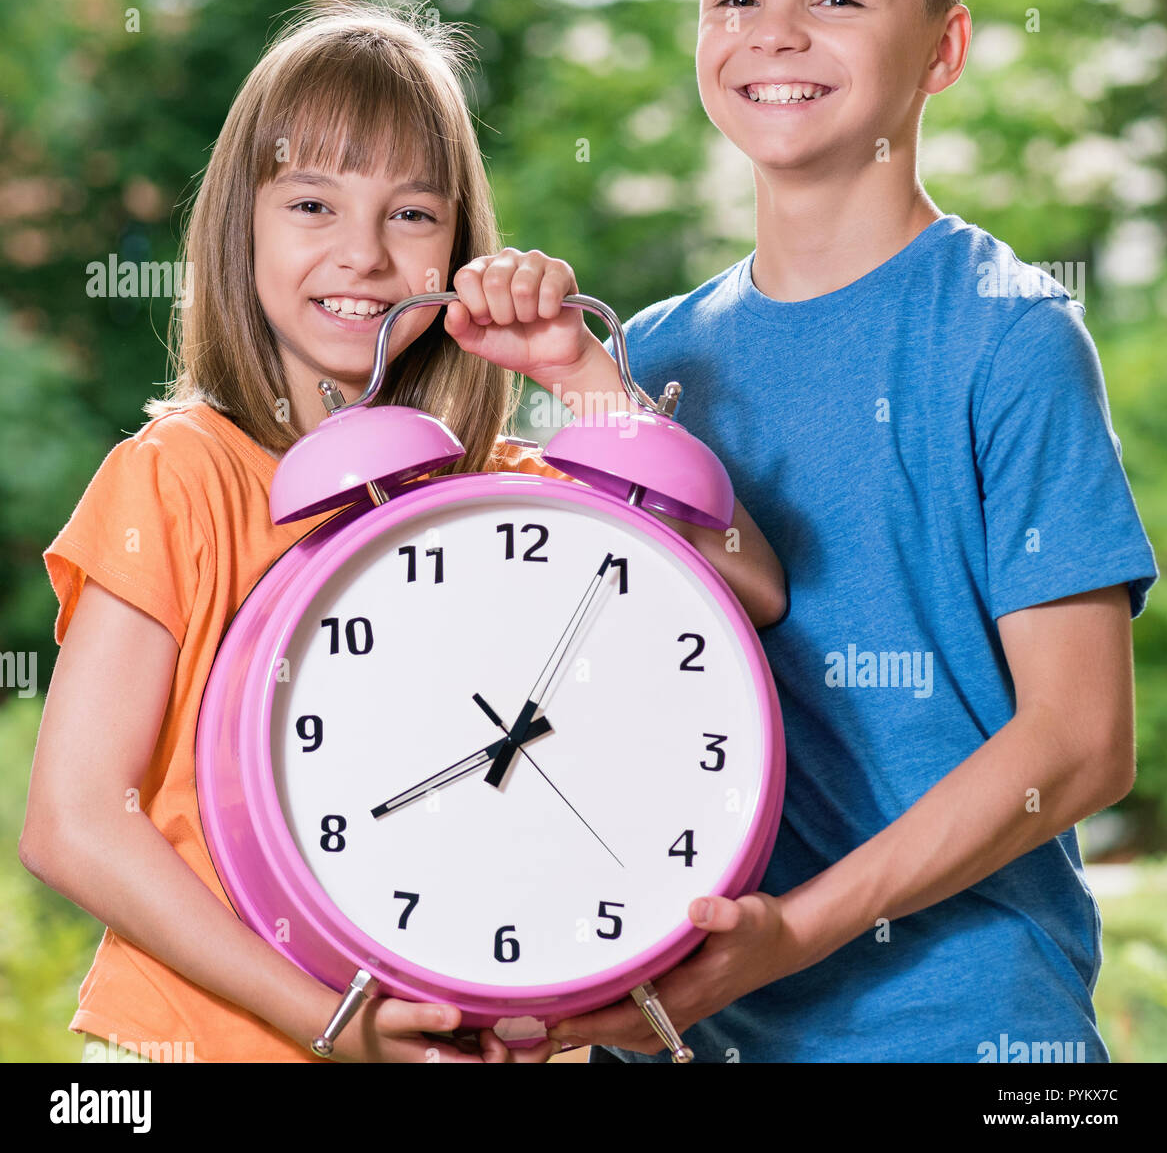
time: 8:04
